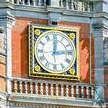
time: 12:13
